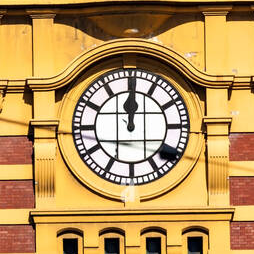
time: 12:00
